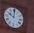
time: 10:00
